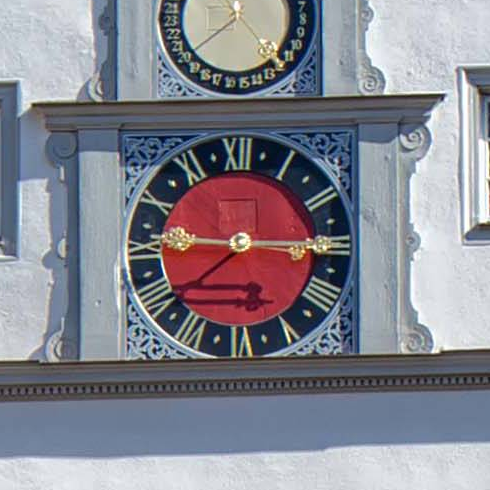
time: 9:15
